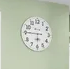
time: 5:45
